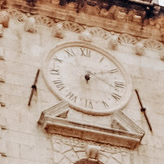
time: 6:10
